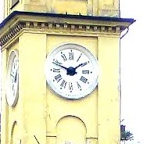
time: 1:48
